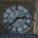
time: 2:37
